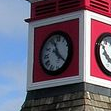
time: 11:21
